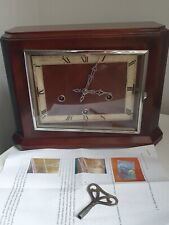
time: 3:03
